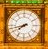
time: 7:42
